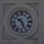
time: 10:26
